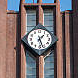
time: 1:26
